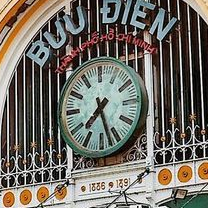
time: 7:27
